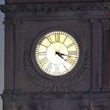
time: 4:17
